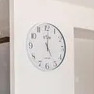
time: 5:00
